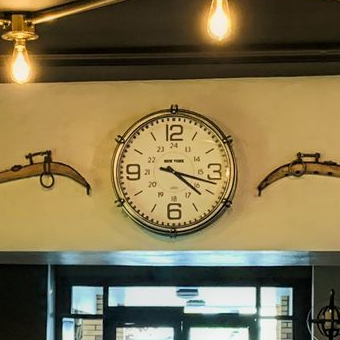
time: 4:17
